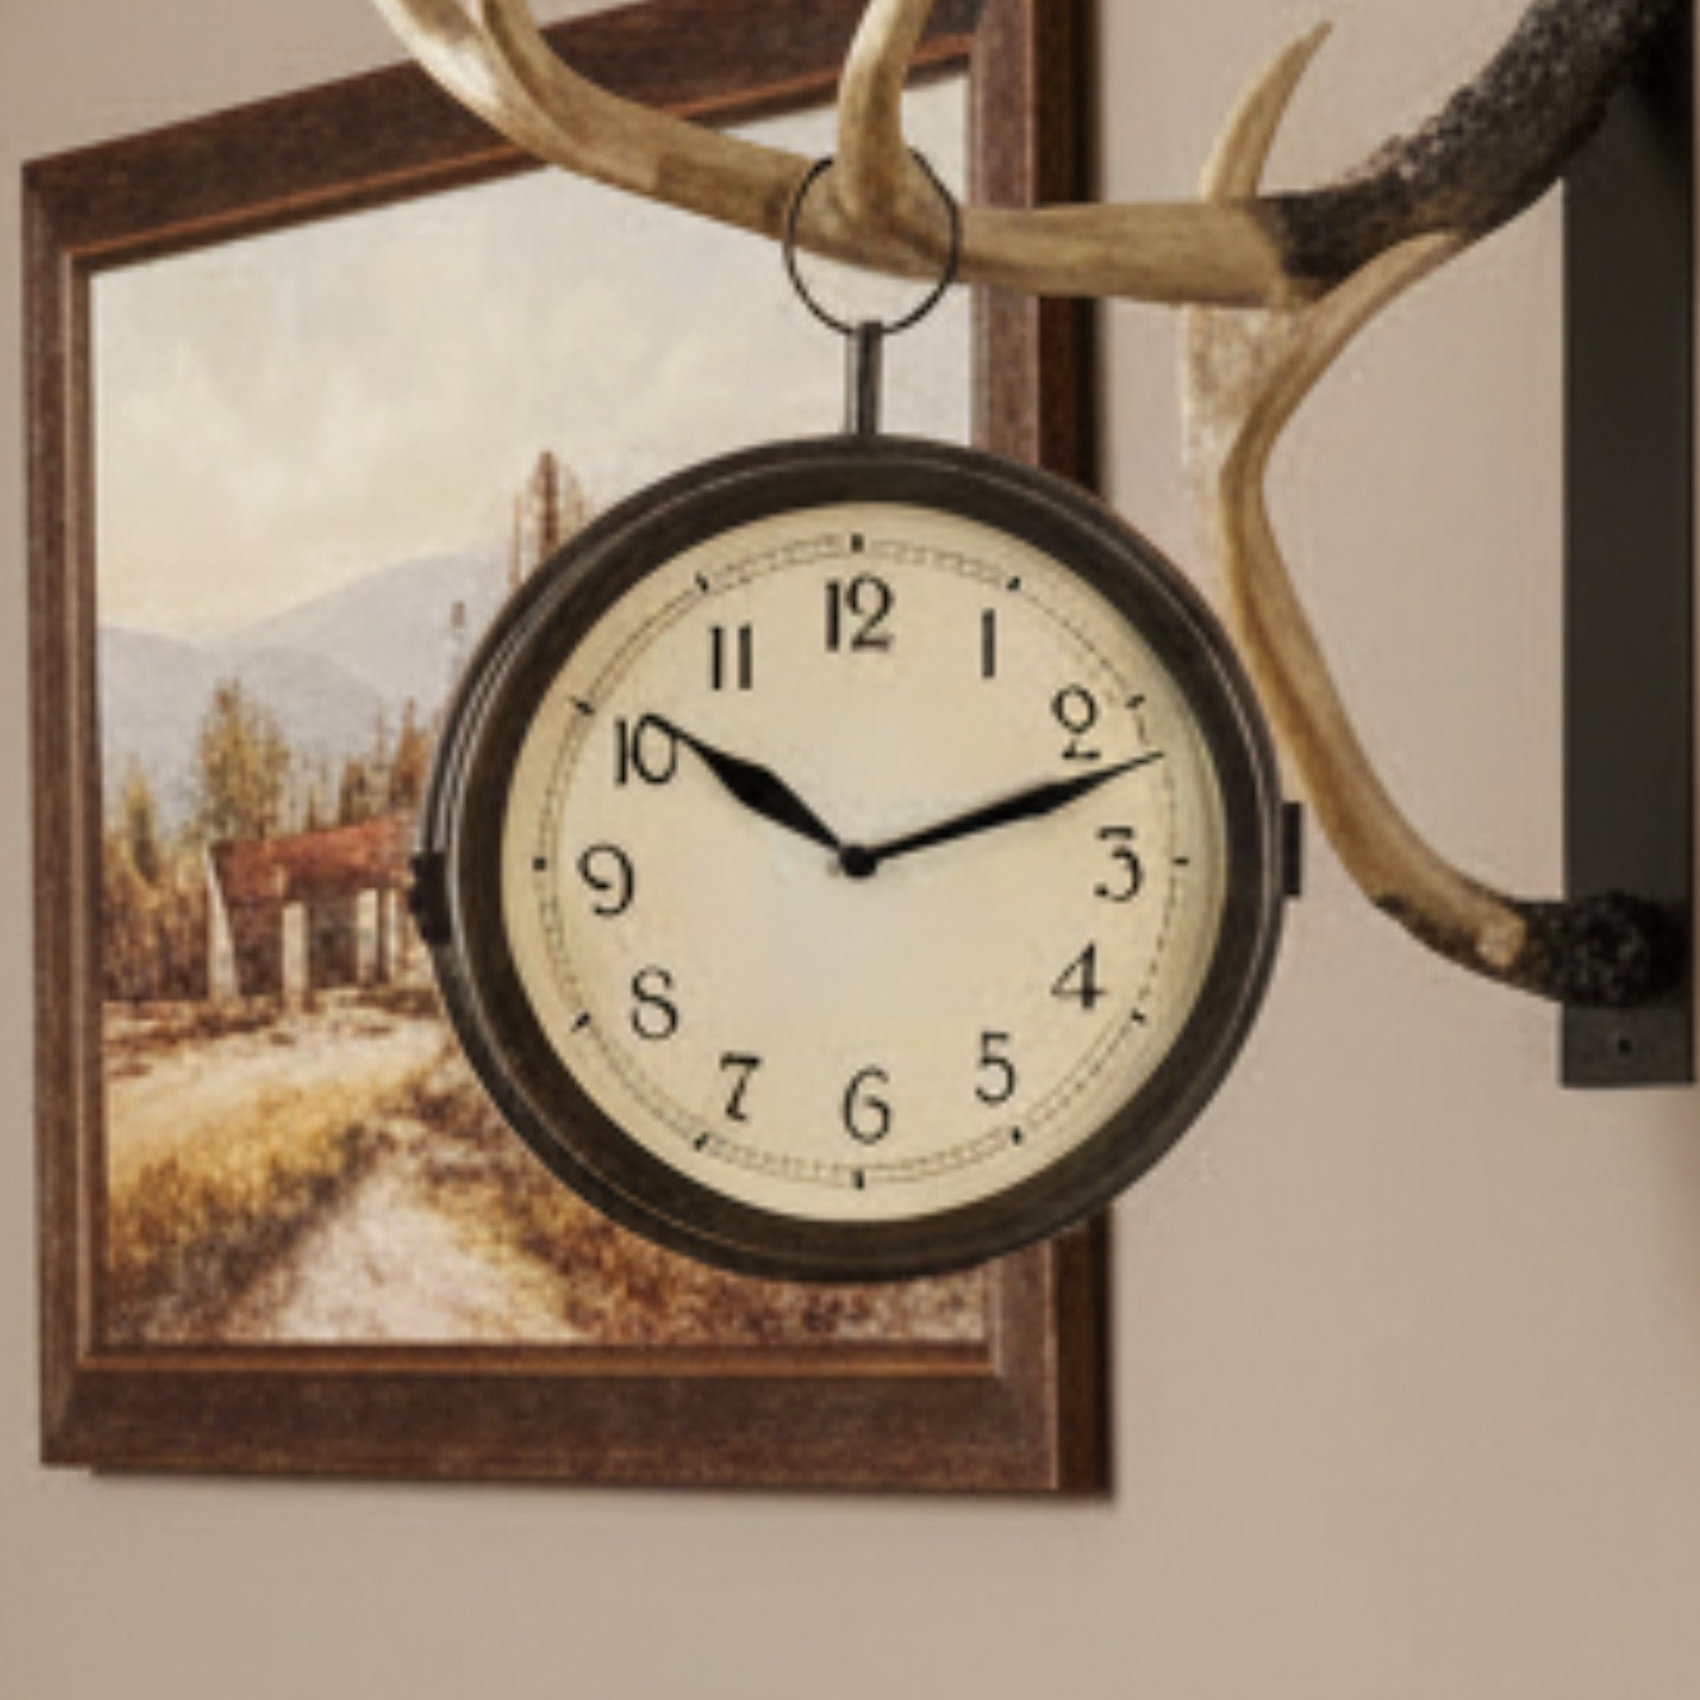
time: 10:11
